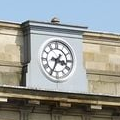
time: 3:34
